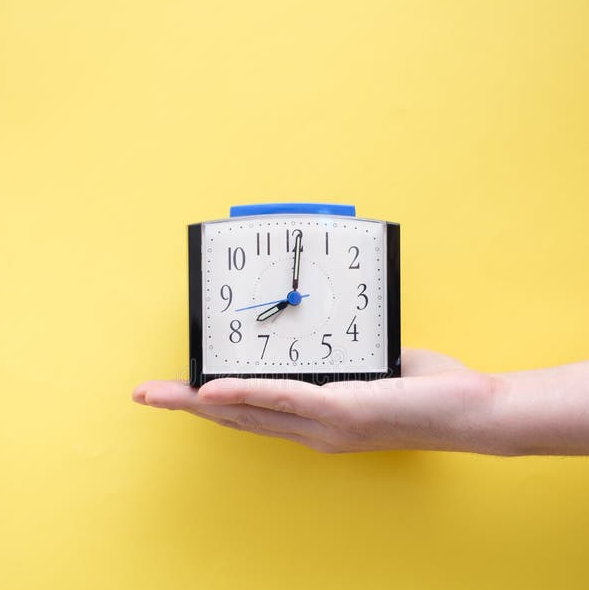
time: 8:00
